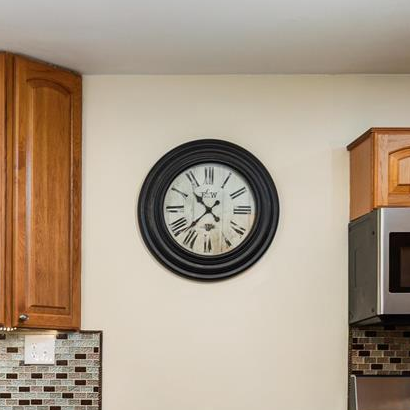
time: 10:37
